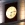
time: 6:13
